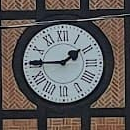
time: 1:45
